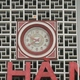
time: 9:40
